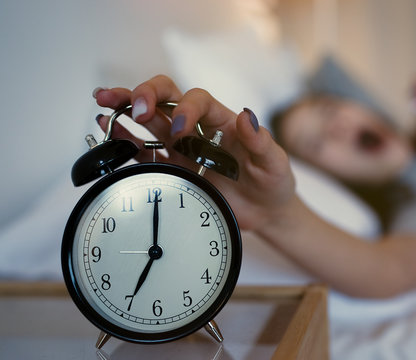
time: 7:00
